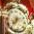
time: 7:12
